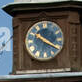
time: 10:20
